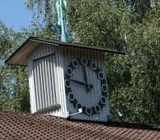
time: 11:47
